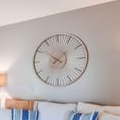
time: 1:50
